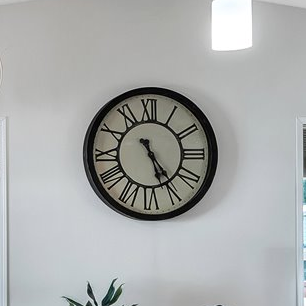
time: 5:24
